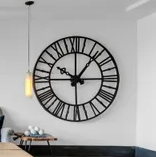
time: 10:06
